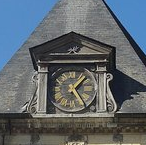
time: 1:24
